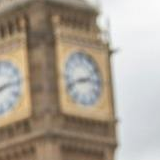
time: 2:41
